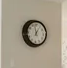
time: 12:57
